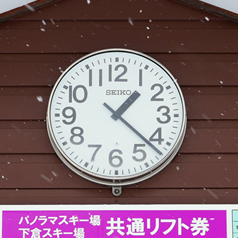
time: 1:22
